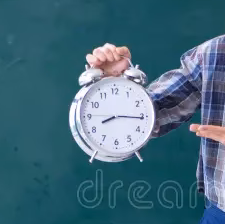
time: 8:15
